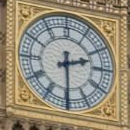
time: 2:29
